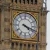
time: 4:18
